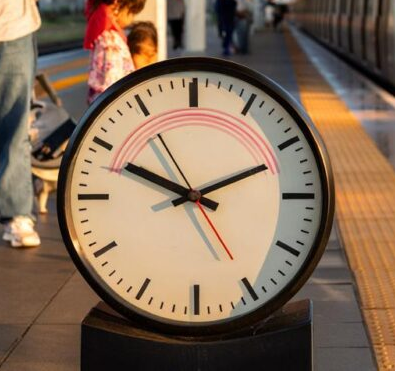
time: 10:11
